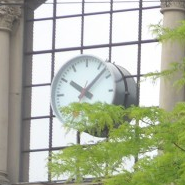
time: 10:07
